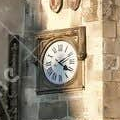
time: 4:10
